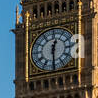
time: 12:29
